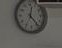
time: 12:23
